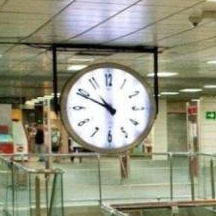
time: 5:49
